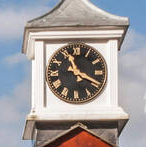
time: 11:19
